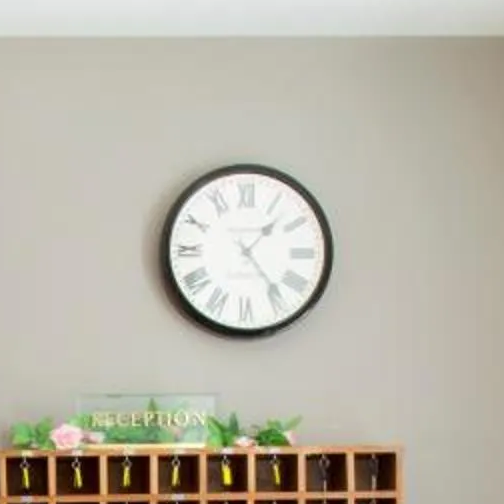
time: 1:23
